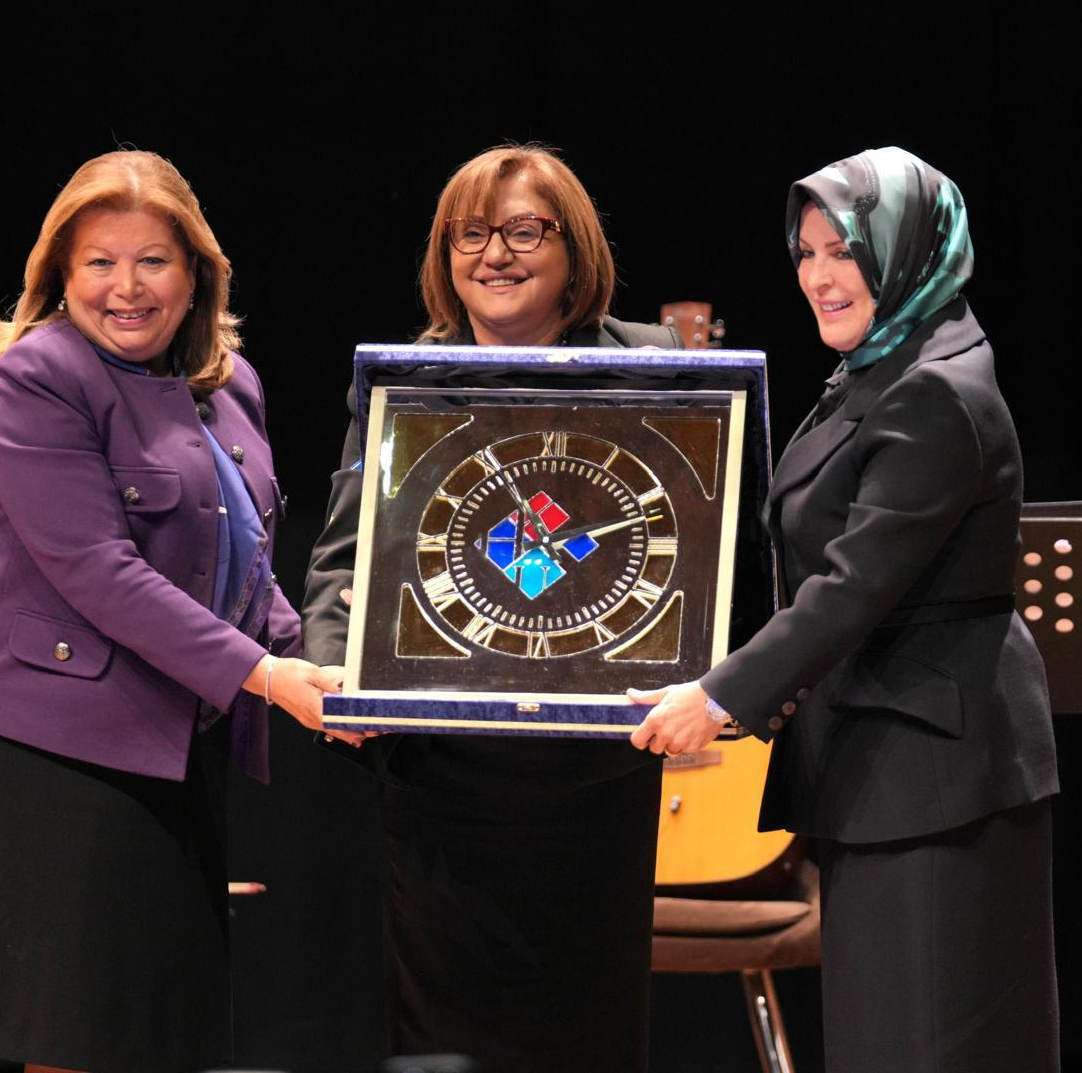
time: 11:11
